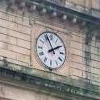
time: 1:56
